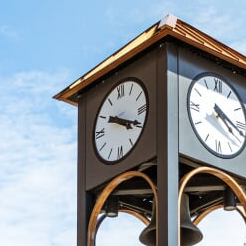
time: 4:19
